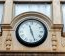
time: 11:26
